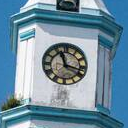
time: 11:17
